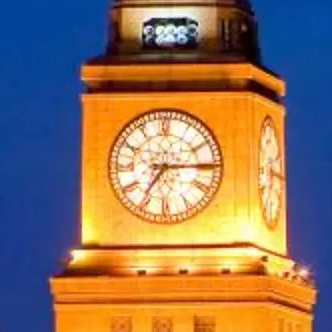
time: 7:14
